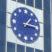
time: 1:15
